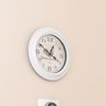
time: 12:50
